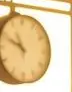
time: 10:48
